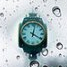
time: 4:02
